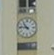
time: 10:46
